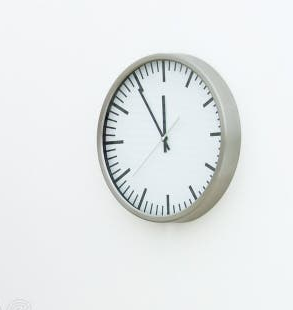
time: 11:54
